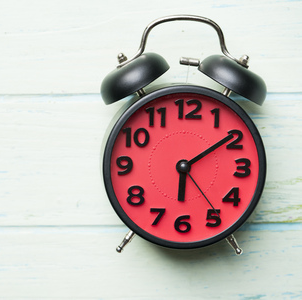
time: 6:09
